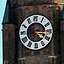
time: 4:15
